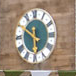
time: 5:50
